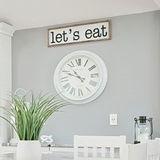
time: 10:48
